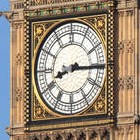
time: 8:15
